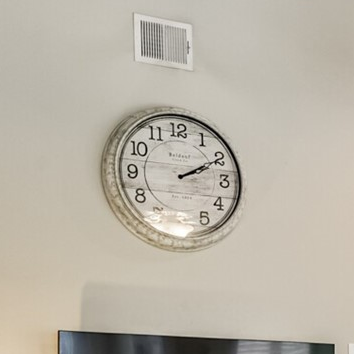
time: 2:10
